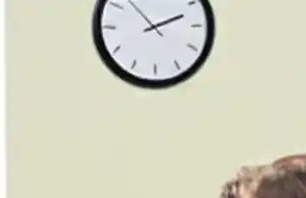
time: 2:11
